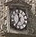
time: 11:35
